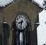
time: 8:32
